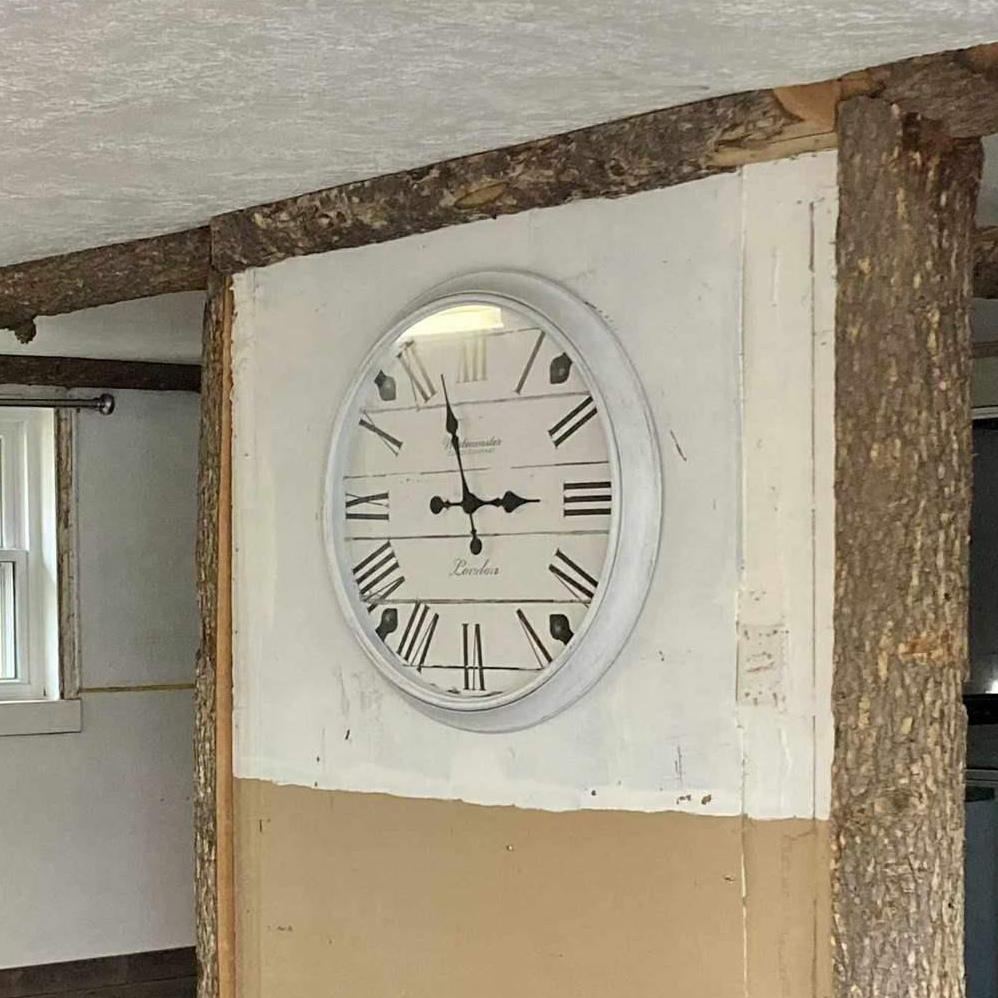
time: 2:57
